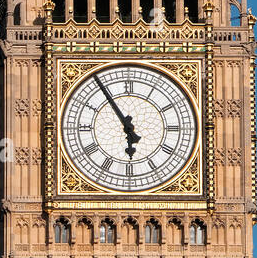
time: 5:54
